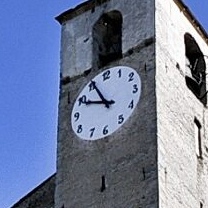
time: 9:55
